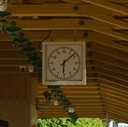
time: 6:08
